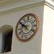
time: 9:50
